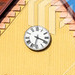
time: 3:32
